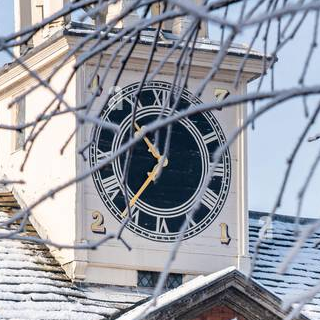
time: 10:36
